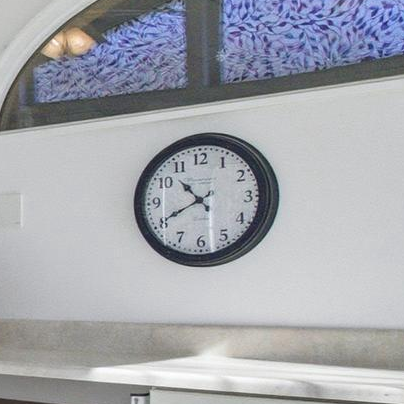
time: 10:40
